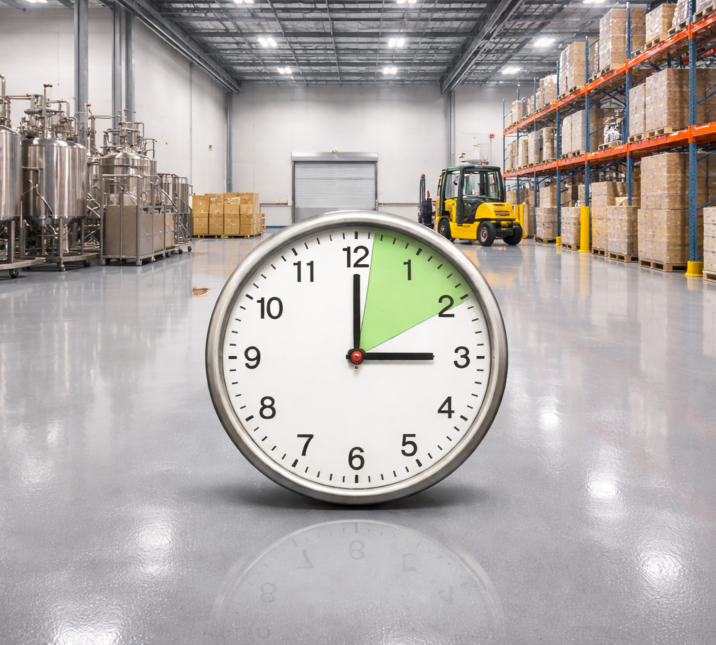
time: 3:00
